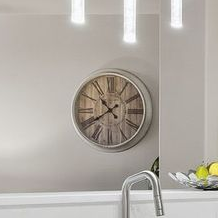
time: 10:39
